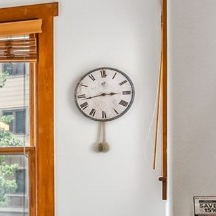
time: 2:42
